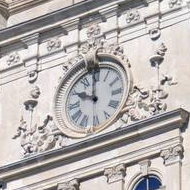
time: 9:59
